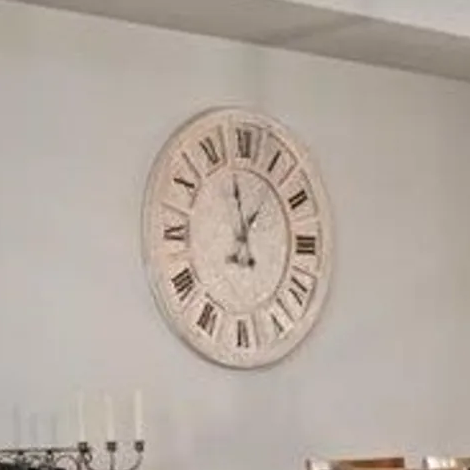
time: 12:58
